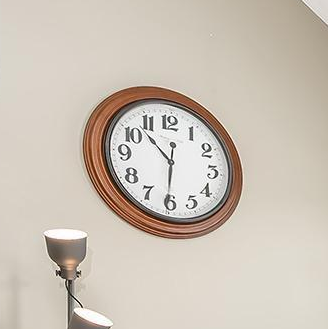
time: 10:30
